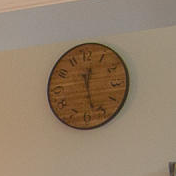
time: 12:27
